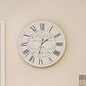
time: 1:32
